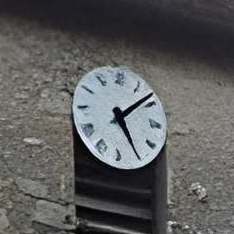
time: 5:08
